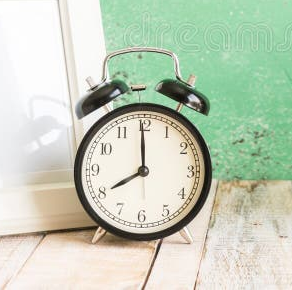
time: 7:59
